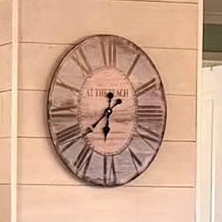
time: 6:38
